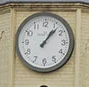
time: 1:07
